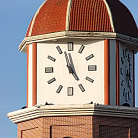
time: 4:57
